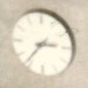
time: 2:36
